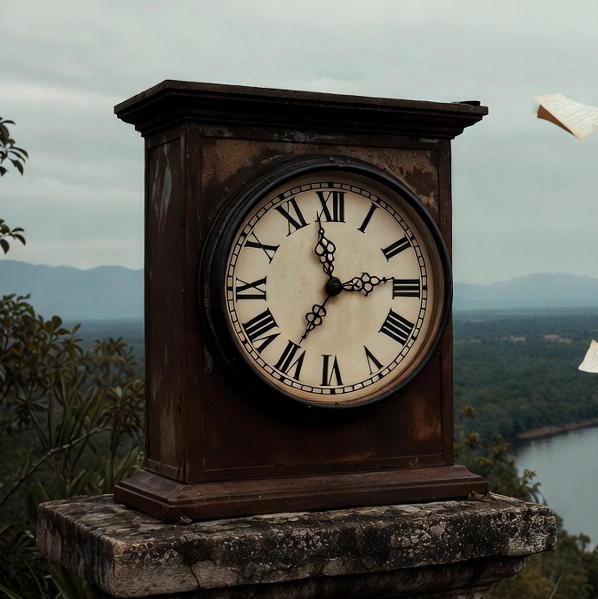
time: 11:35
